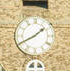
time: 1:40
